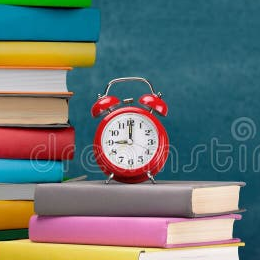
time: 9:00
